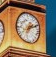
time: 1:11
